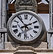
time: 1:53
